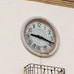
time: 9:18
